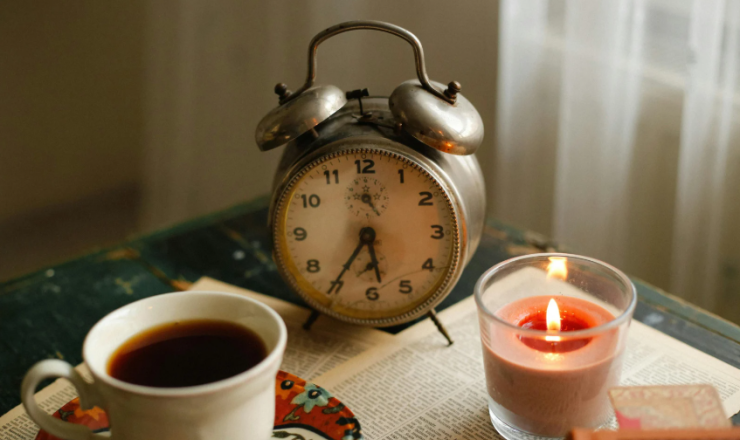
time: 5:35
